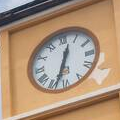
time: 12:33
